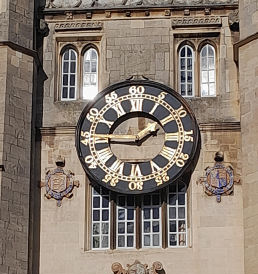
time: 1:45
